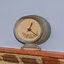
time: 12:21
